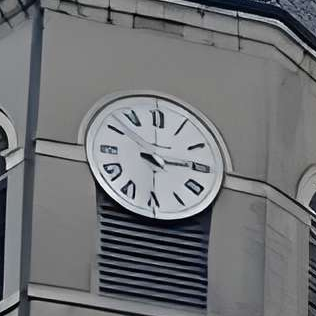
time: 10:14
